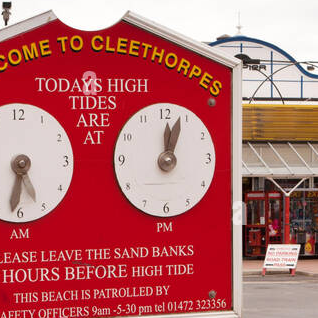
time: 12:03
